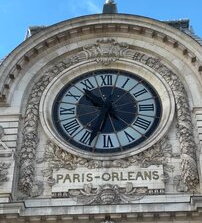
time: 10:33
